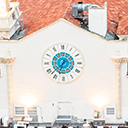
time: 6:37
